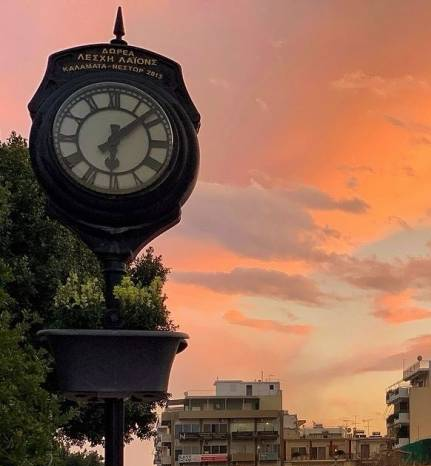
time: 6:08
